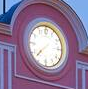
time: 7:37
